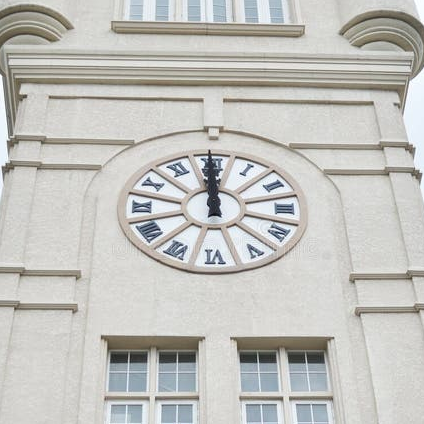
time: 11:59
